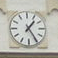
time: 1:24
